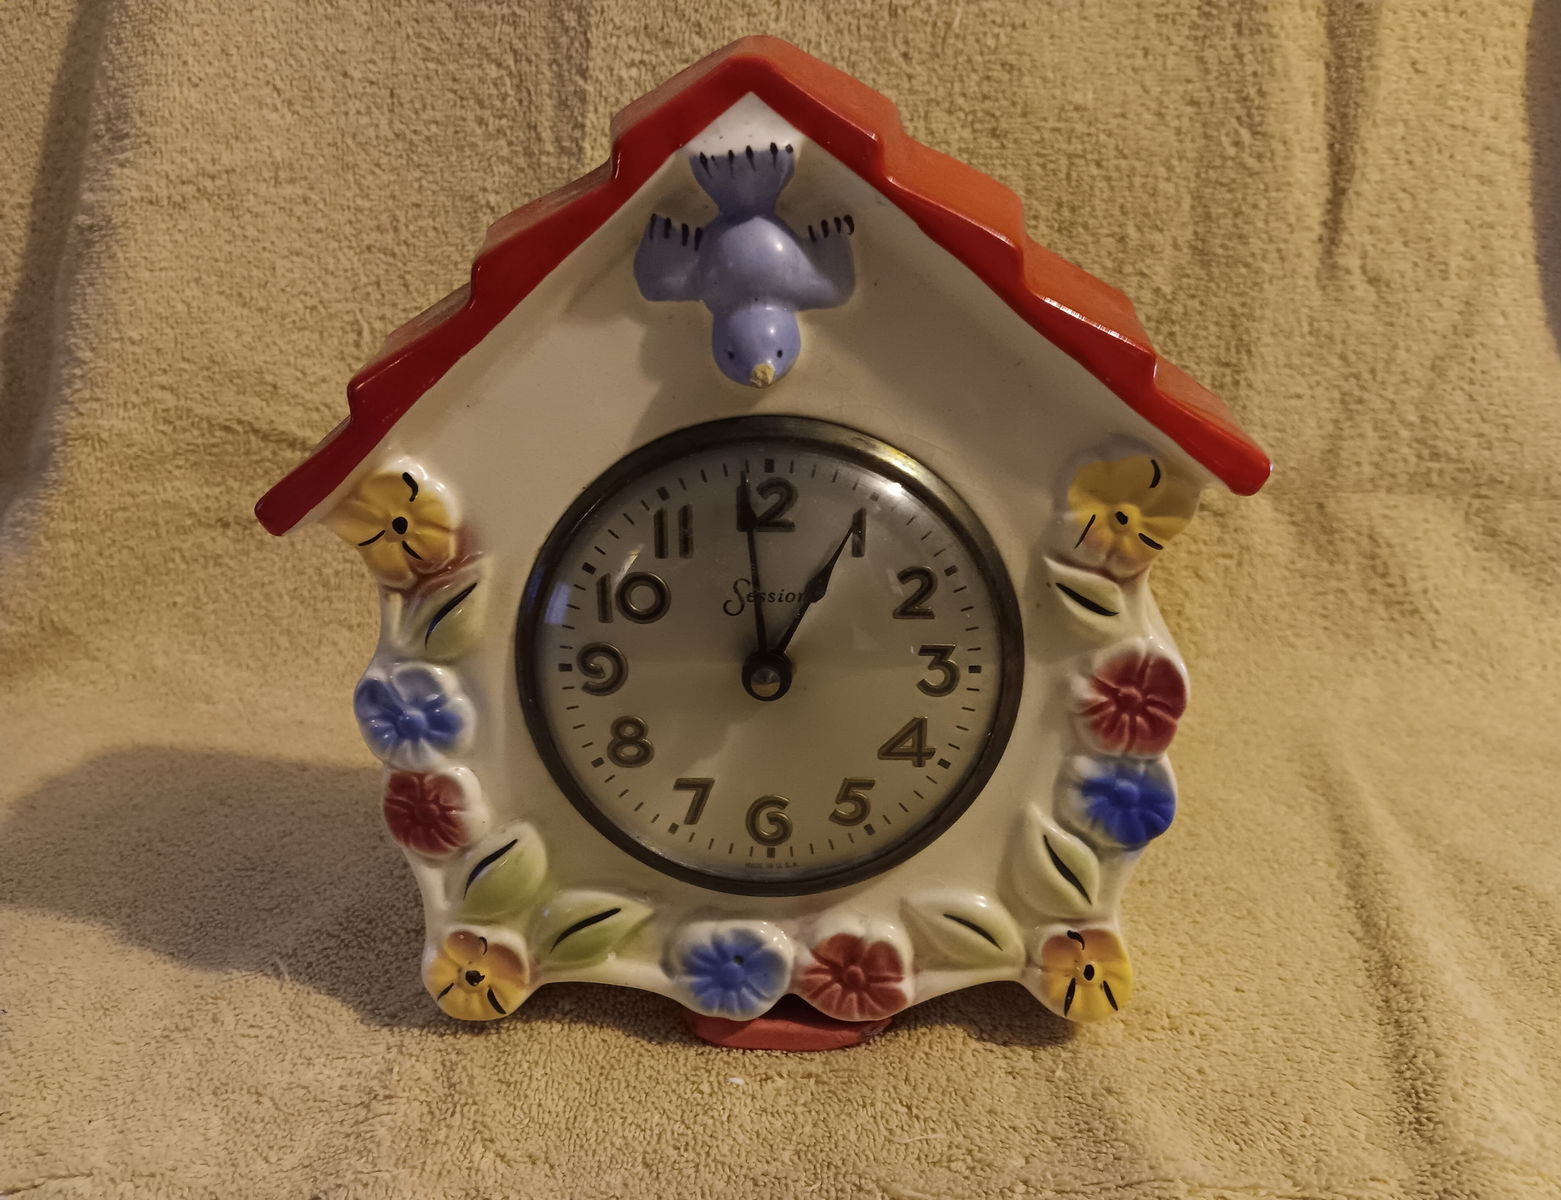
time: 12:59
